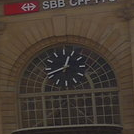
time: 12:41
